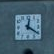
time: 12:20
